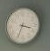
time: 3:34
